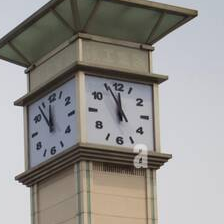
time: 11:55
